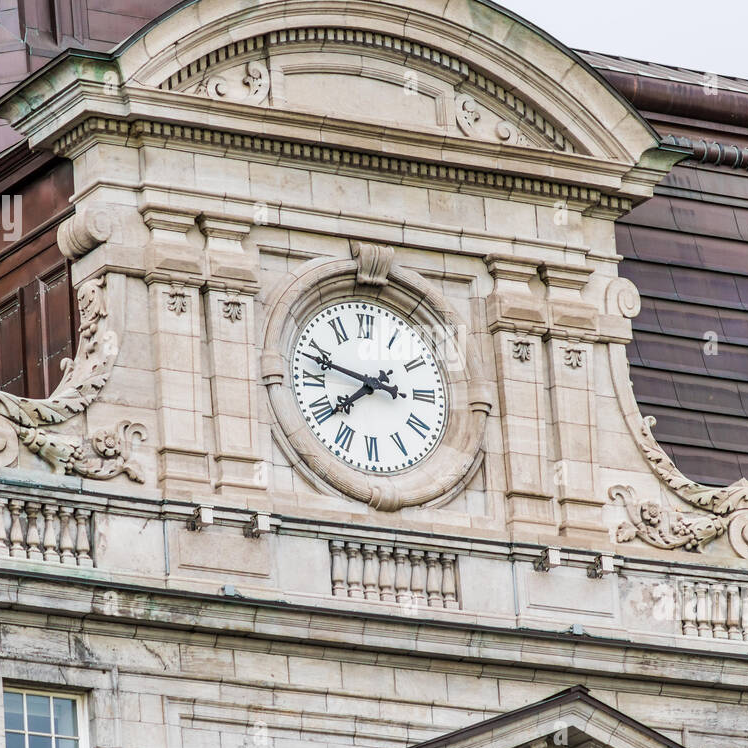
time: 7:47
